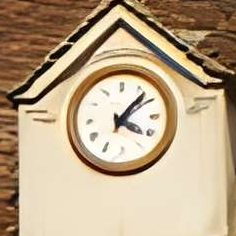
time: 4:07
